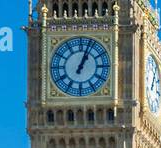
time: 1:03
